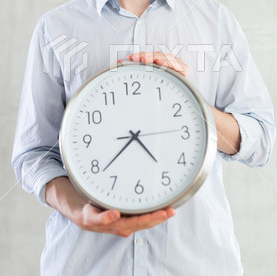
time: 4:38
